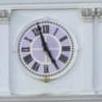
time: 4:56
